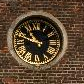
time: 10:48
